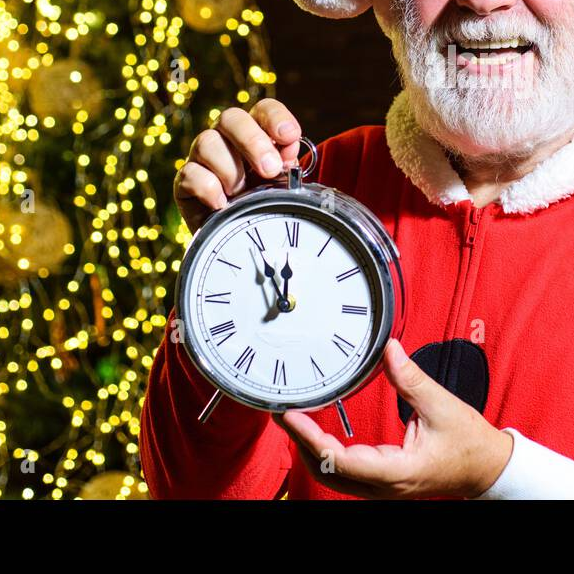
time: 11:55
